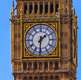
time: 1:30
